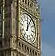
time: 12:04
